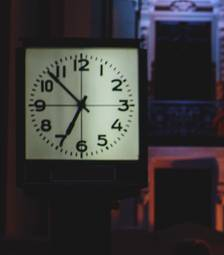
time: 6:52
